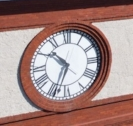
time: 10:33
